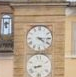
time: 4:14
